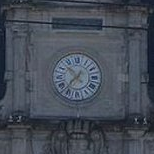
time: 10:37
